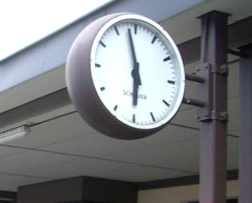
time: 5:58
